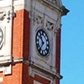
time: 10:36
